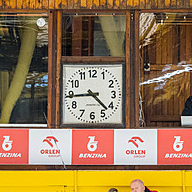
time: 4:44
